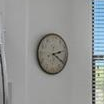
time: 2:20
